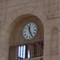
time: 11:25
